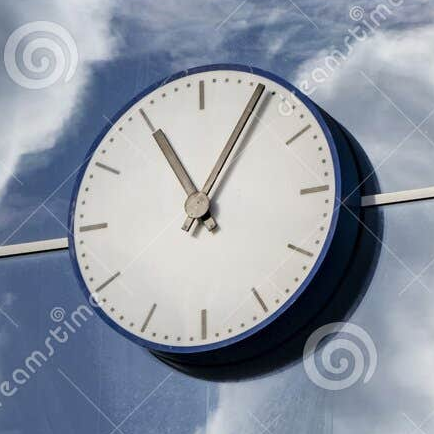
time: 11:05
